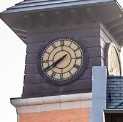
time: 7:40
